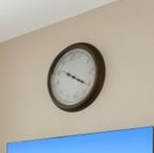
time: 10:21
